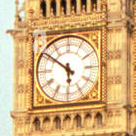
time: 5:51
